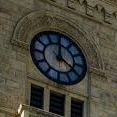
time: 4:00
